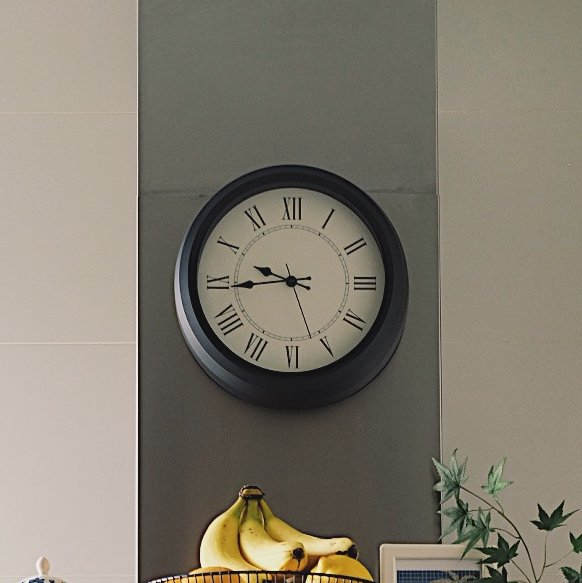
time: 9:44
